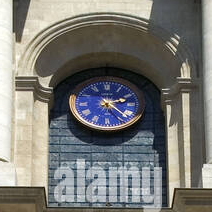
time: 2:21
